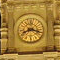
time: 8:17
